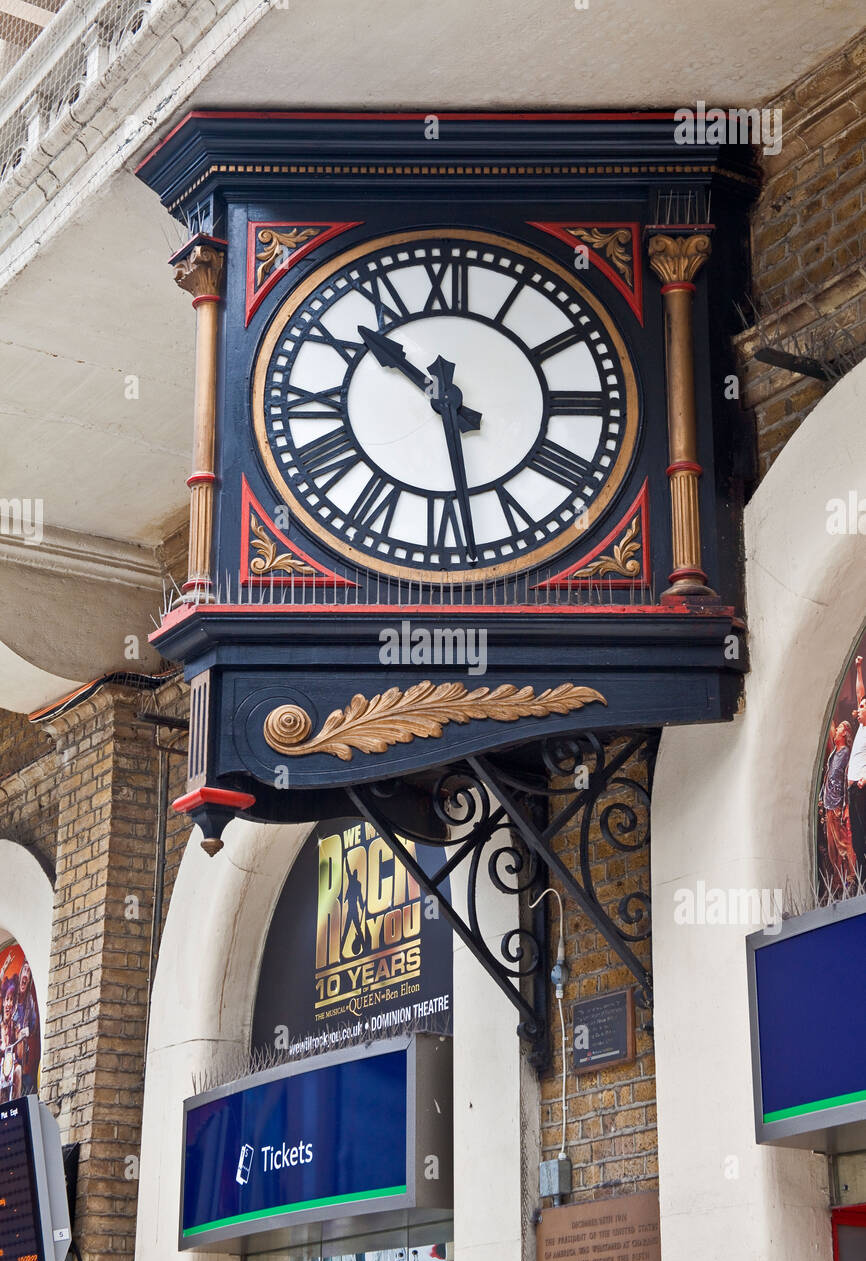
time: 10:28
